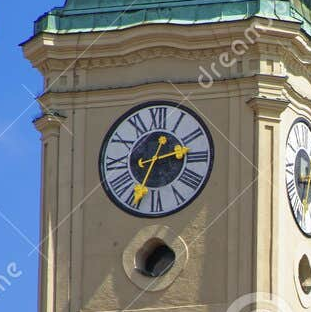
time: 2:34
